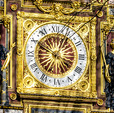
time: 12:49
